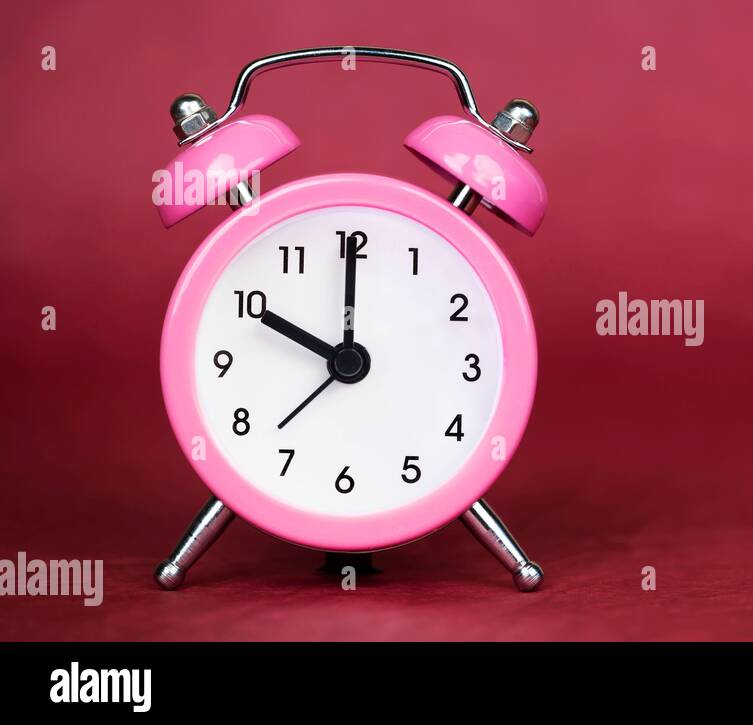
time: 10:00
